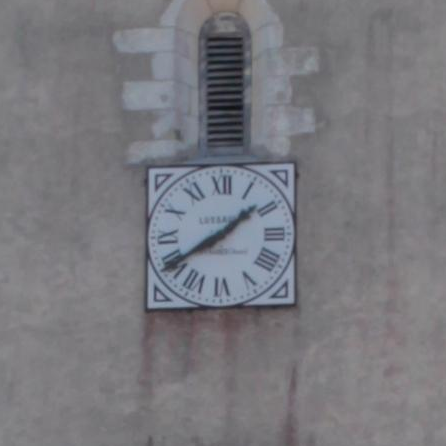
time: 1:39
